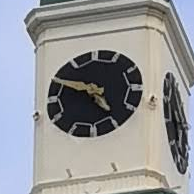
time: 4:48
